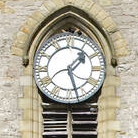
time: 1:26
